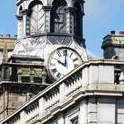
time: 10:00
